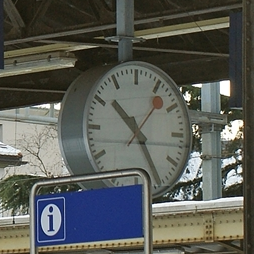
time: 10:24
